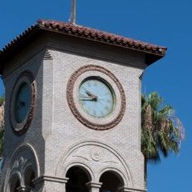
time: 9:43
